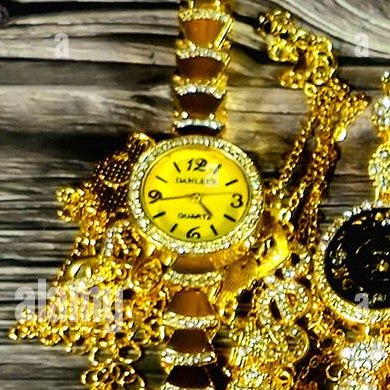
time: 4:43
